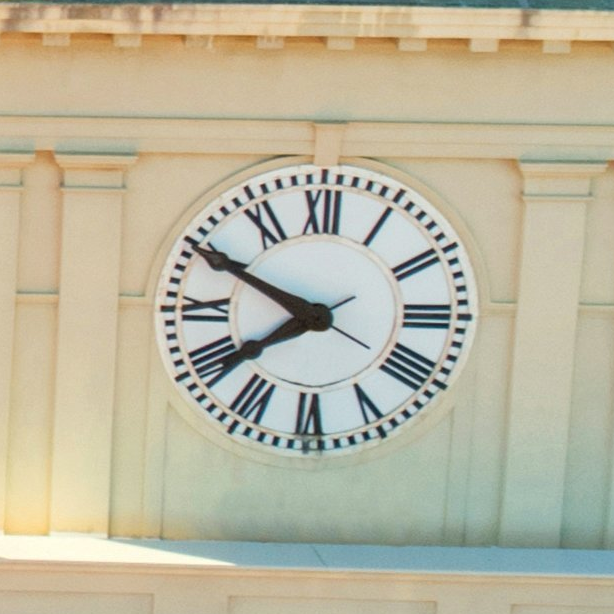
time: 7:49
